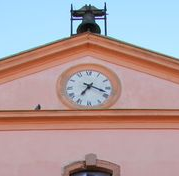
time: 7:18
